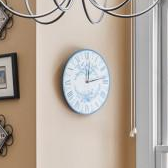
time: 12:13
